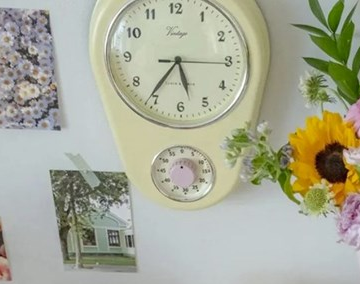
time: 5:36
